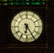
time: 6:24
